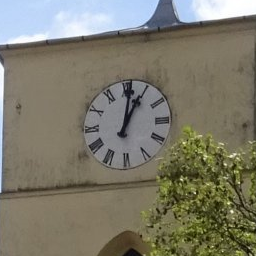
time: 1:01
